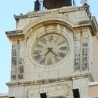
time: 7:22
